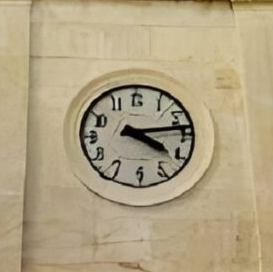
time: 4:13
